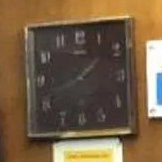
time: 1:42
